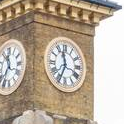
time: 11:34
